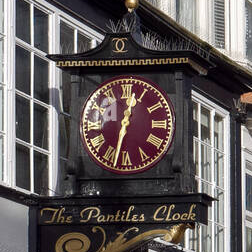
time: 12:32
